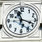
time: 11:18
